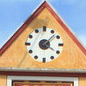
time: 4:07
